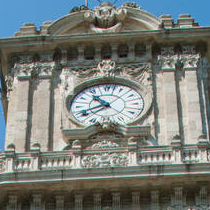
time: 10:40
